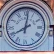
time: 8:01
